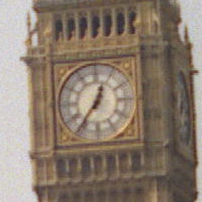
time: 12:36
